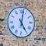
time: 5:02
